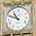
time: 10:48
